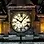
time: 10:07
